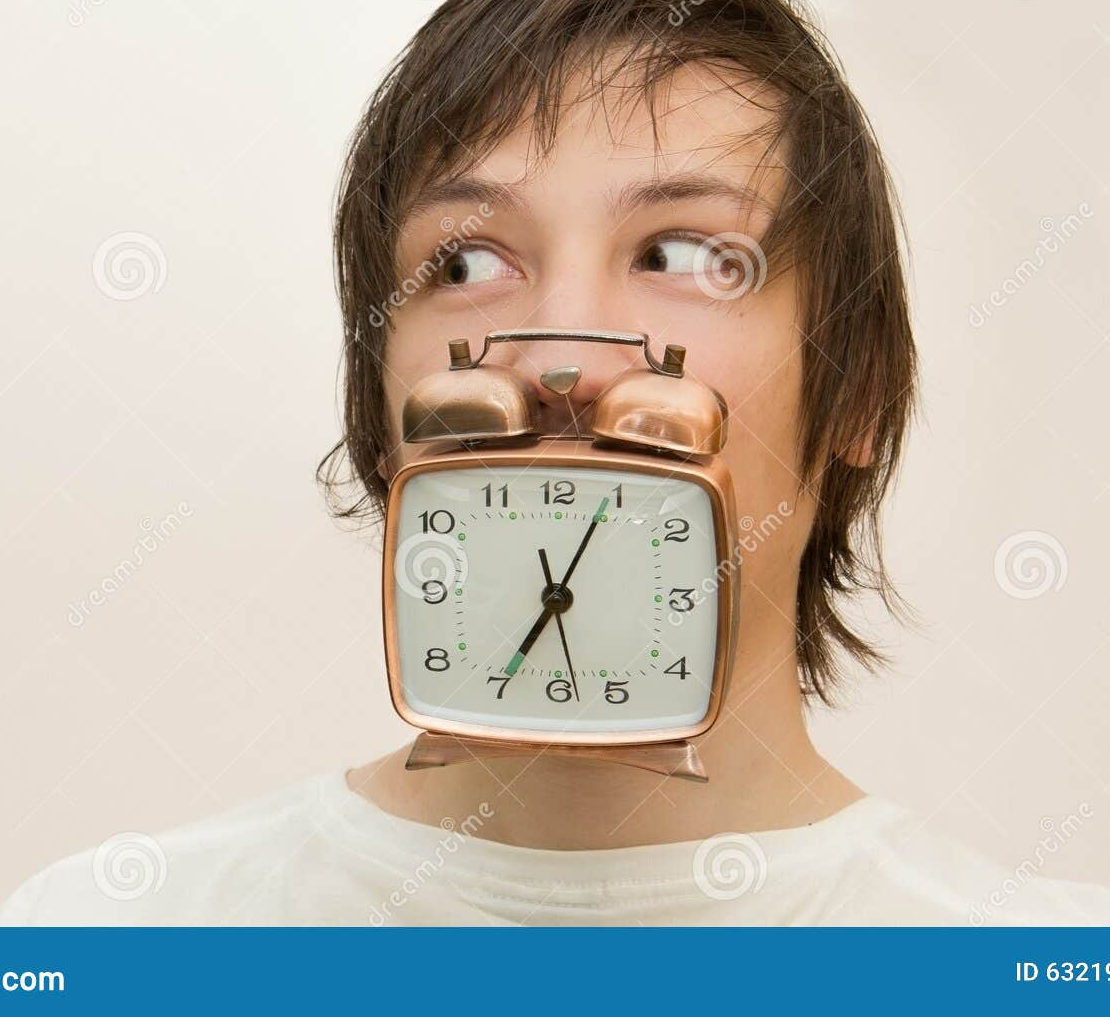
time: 7:04
